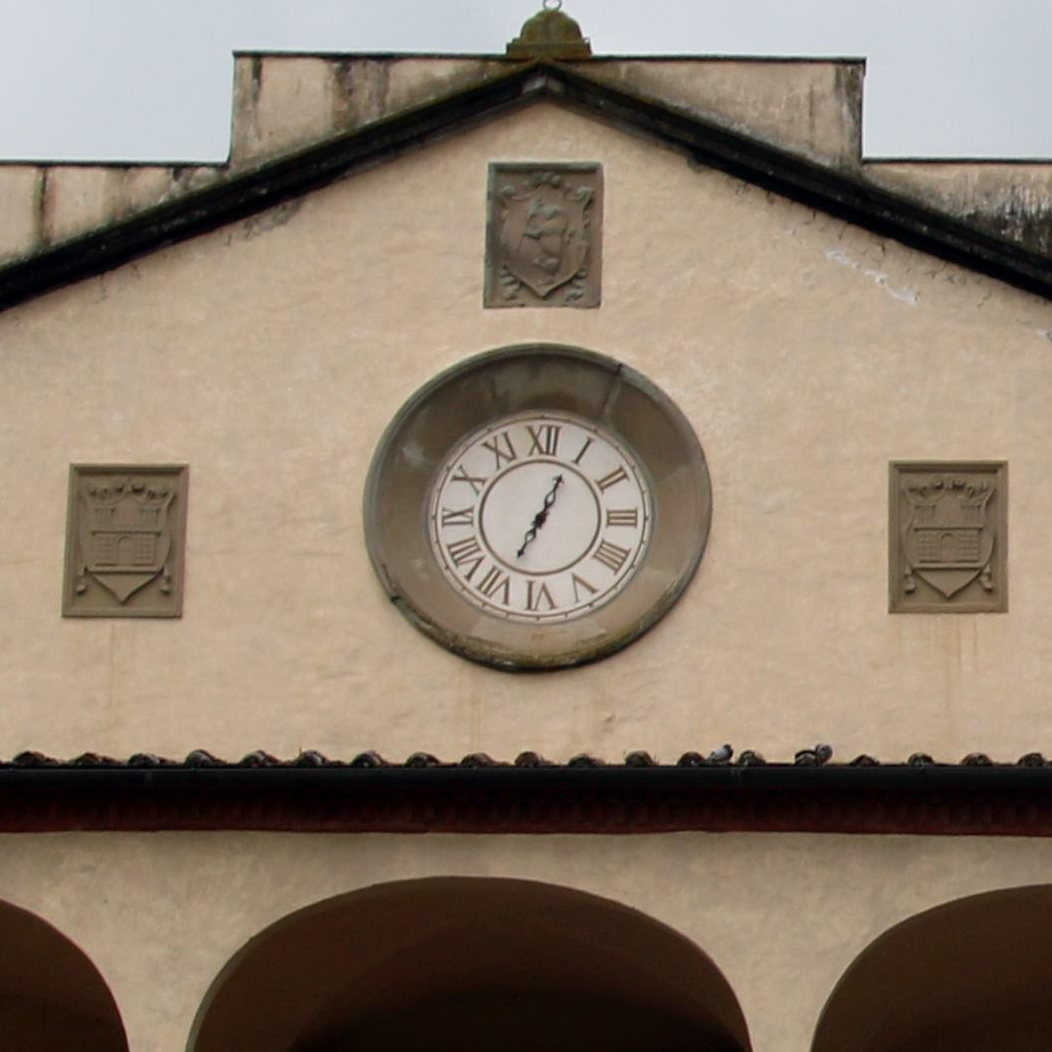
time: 12:34
